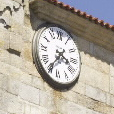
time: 3:35
